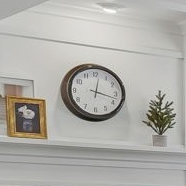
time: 12:17
